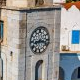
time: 8:16
